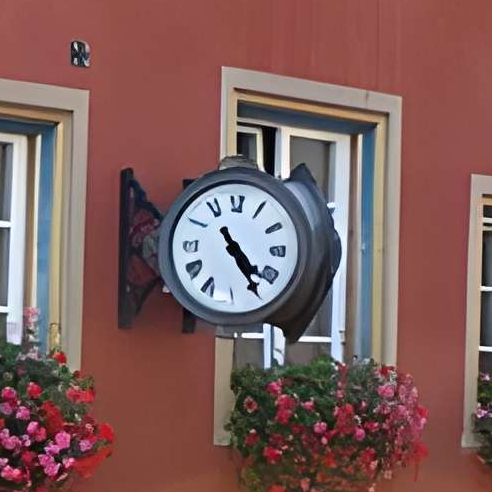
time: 4:24
